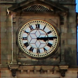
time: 3:14
